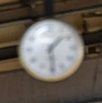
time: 1:28
